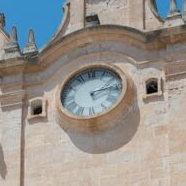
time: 2:13
